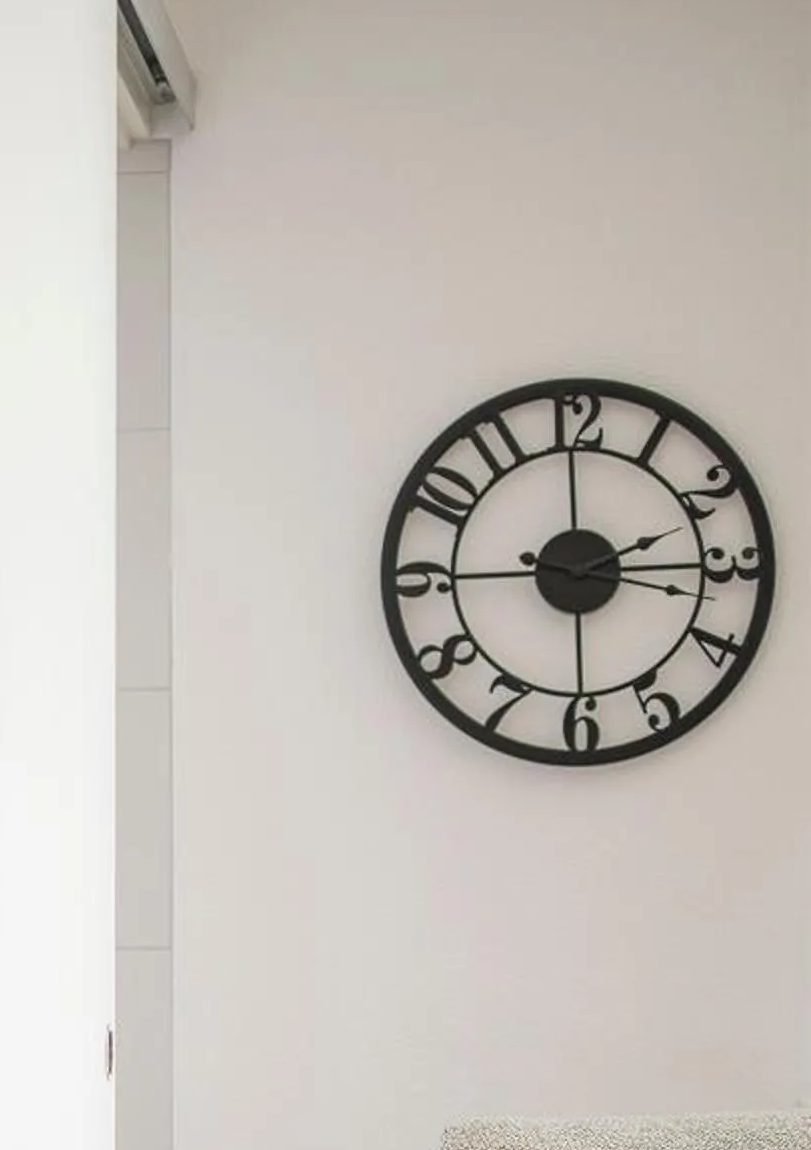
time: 2:15
